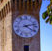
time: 4:12
